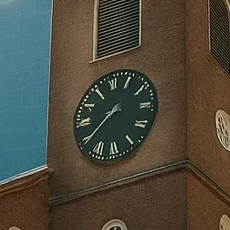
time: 7:39
